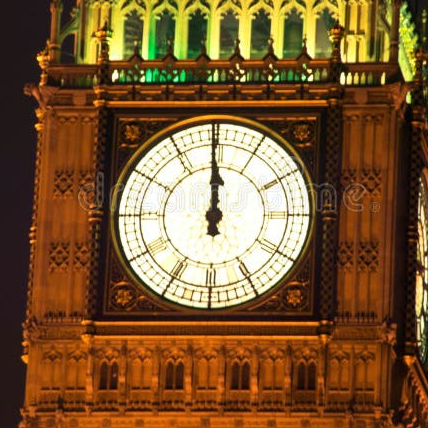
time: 11:59
